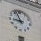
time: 8:56
